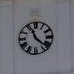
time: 11:21
